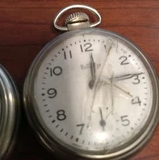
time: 12:14
